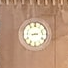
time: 3:12
